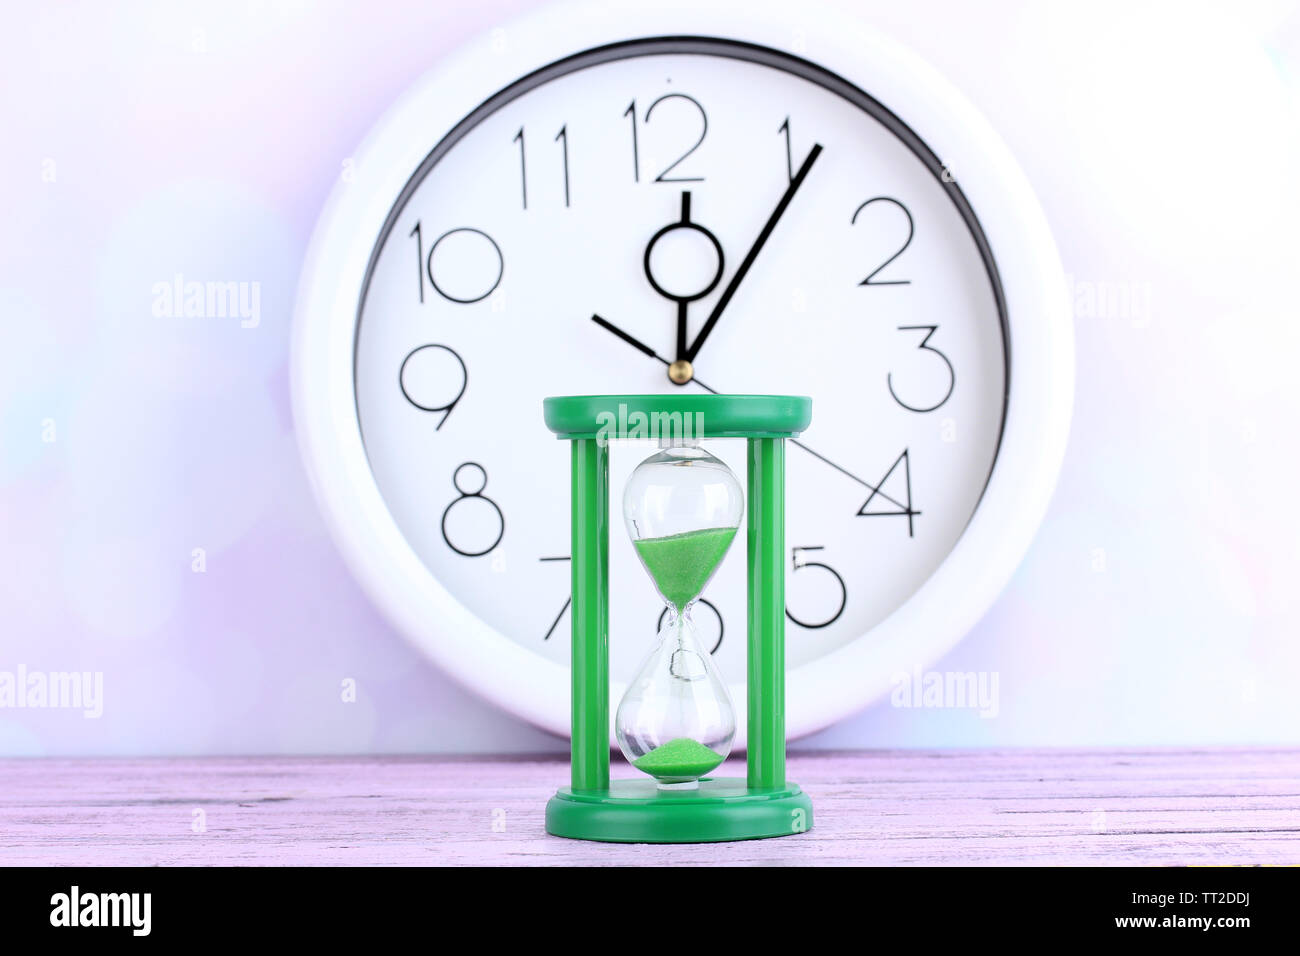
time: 12:05
